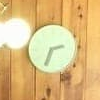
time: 2:33
